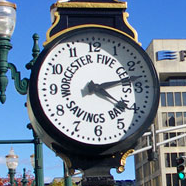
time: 4:12
